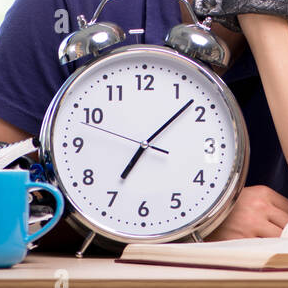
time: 7:07
